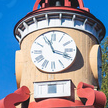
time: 11:18
